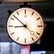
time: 8:52
